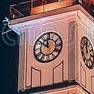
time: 11:51
